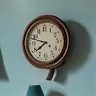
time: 7:47
